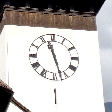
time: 11:27
